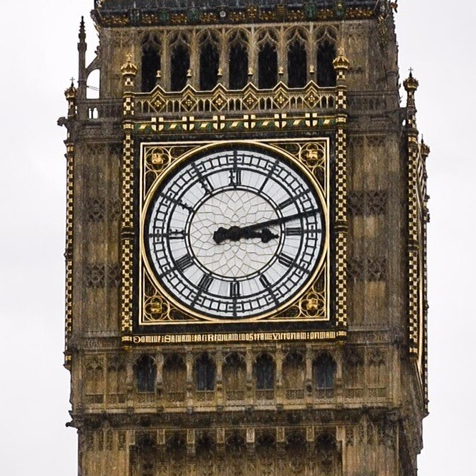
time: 3:12
